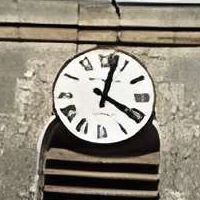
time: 4:02
